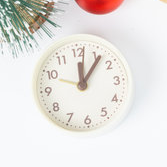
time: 12:06
